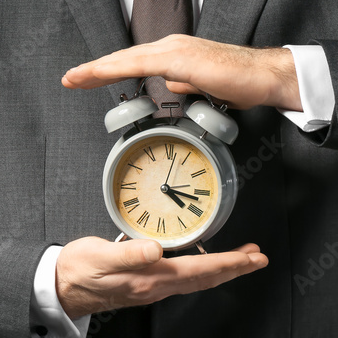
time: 4:17
